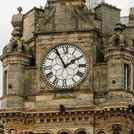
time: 1:55
